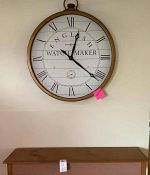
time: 12:21
